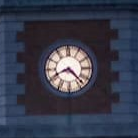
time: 8:22
